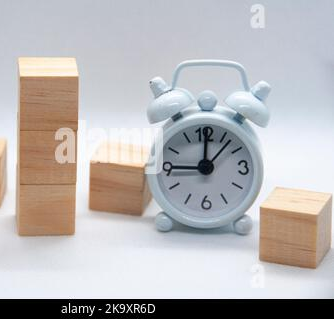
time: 9:00
